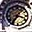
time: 3:36
